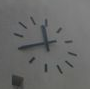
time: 11:40
